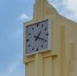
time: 1:18
